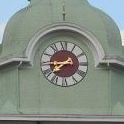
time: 7:44
